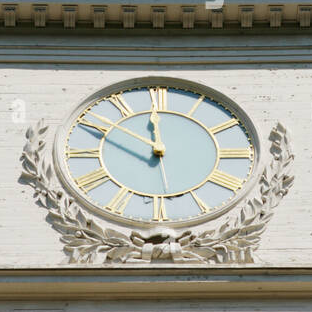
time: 11:49
